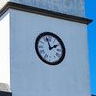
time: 1:57
